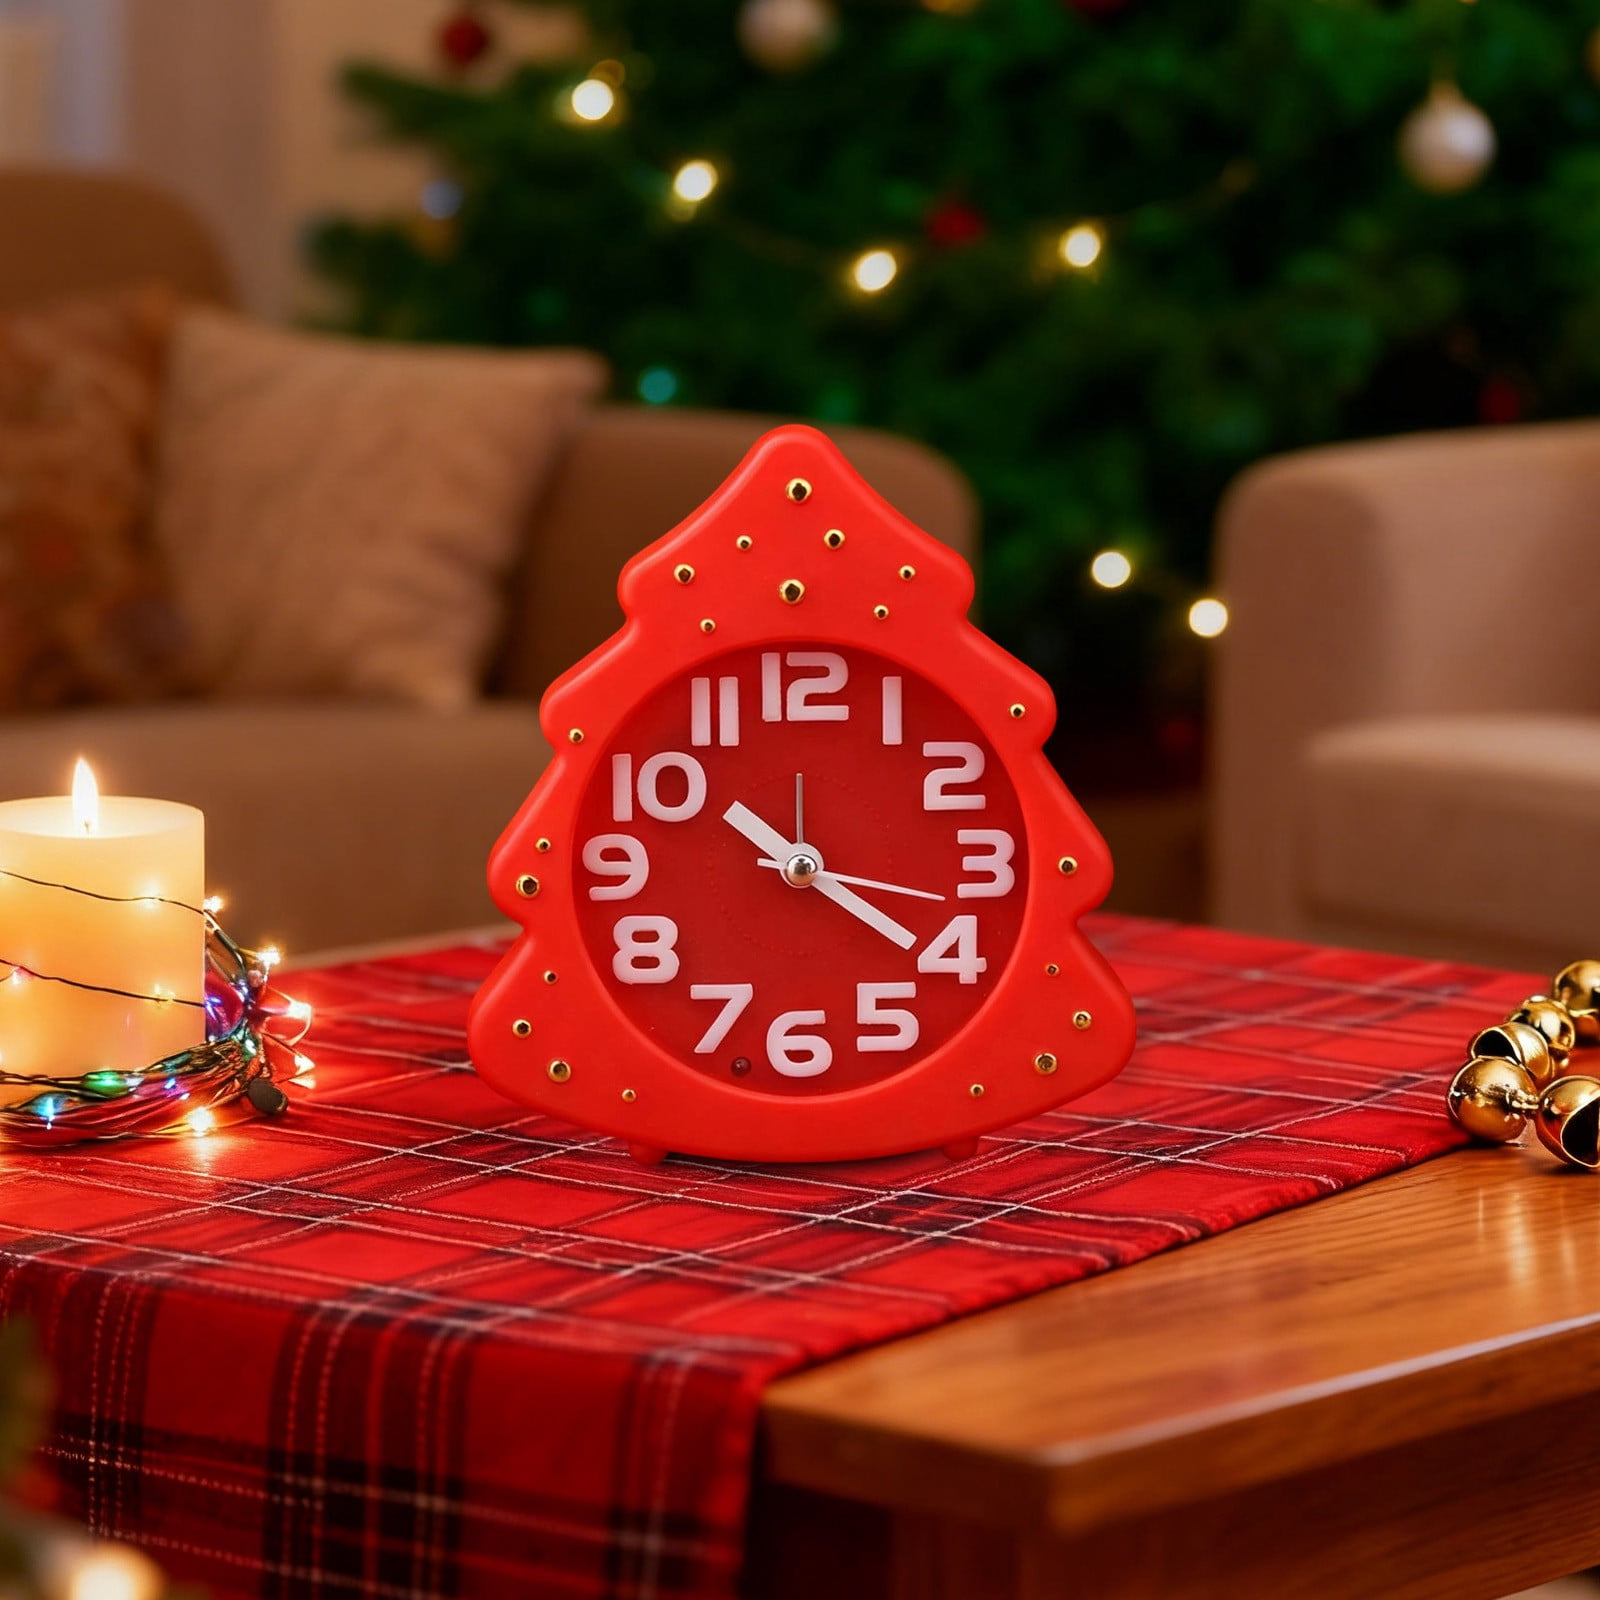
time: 10:20
